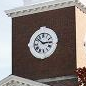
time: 2:52
